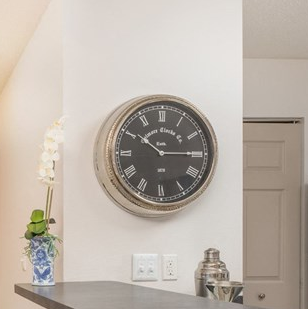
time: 10:14
